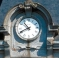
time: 10:41
